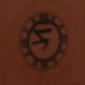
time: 8:52
